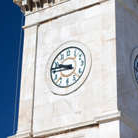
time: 9:45
